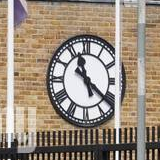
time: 11:21
